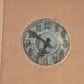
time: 6:50
